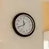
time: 11:41
